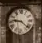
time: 9:22
